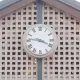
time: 3:46
